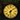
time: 6:08
